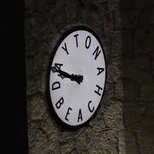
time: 9:49
